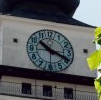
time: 10:19
